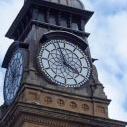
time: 3:56
